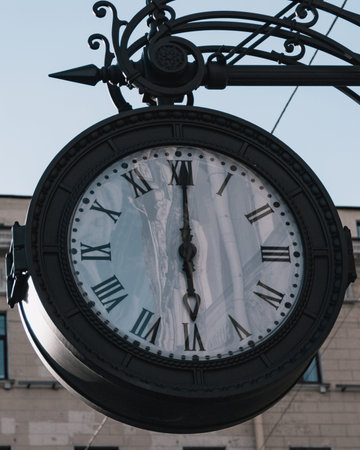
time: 6:00
